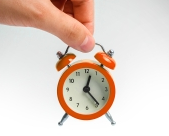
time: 12:23
